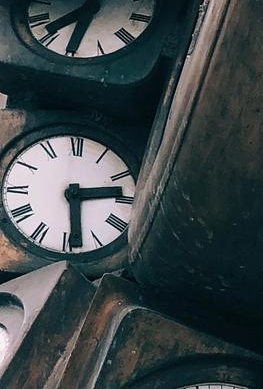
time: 2:29
